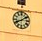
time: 8:09
